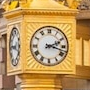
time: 2:18
